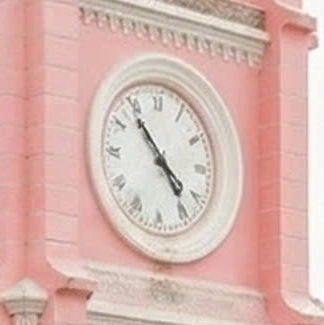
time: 4:23
